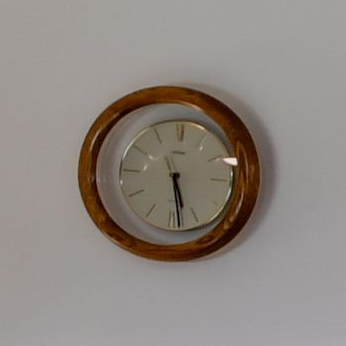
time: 5:28
